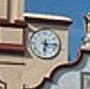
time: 6:15
